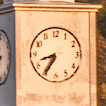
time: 8:35
